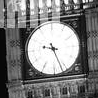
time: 9:26
